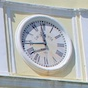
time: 11:43
